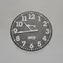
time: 10:44
